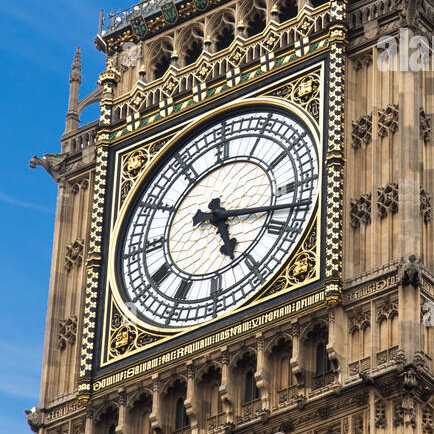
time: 5:17
